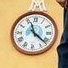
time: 11:21
